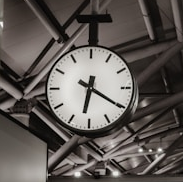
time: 6:20
